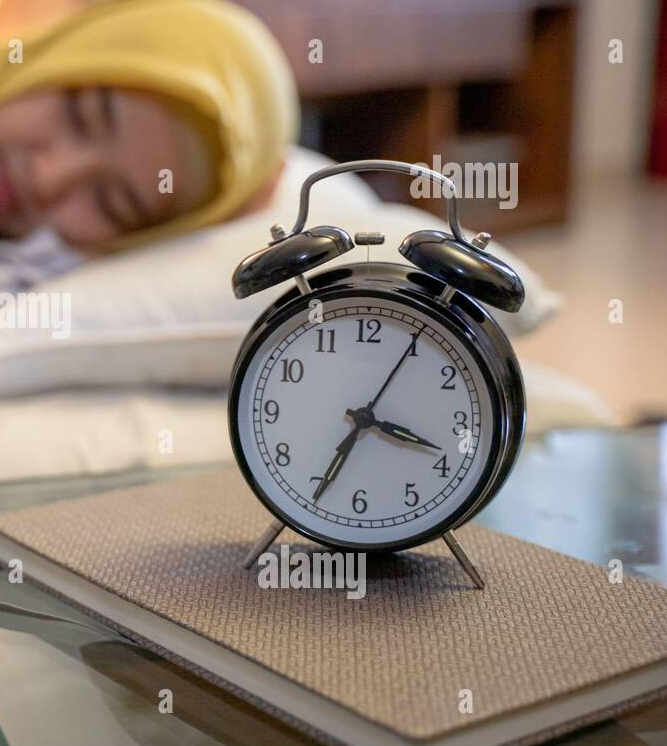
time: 3:34
